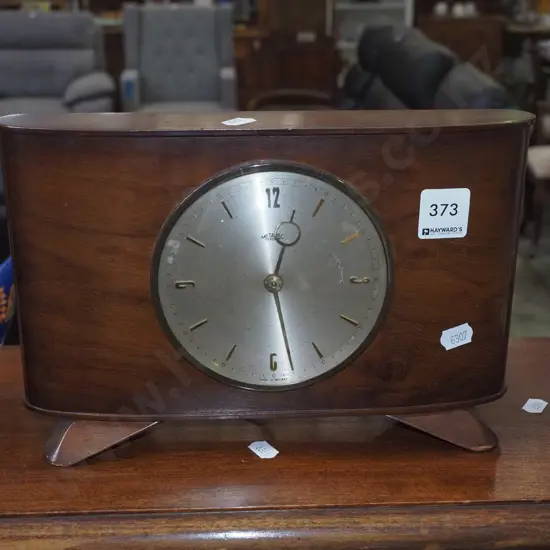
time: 12:28
